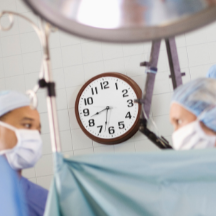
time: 8:32
